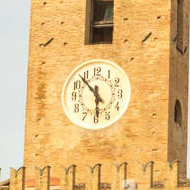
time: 5:53
